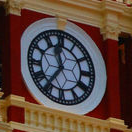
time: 11:35
